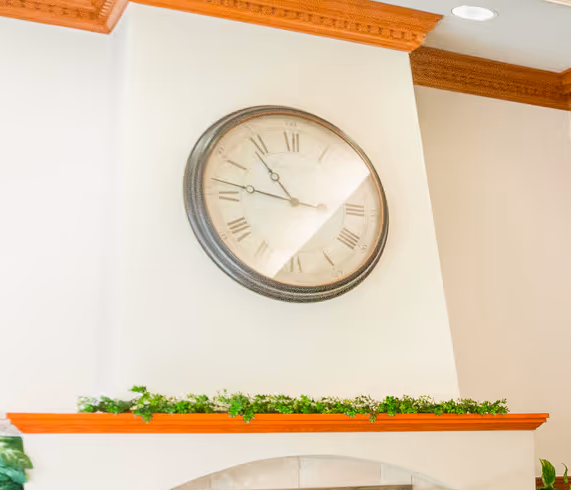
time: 10:46
